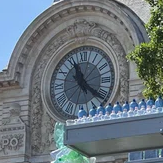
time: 11:21
